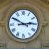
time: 2:50
